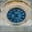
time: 10:36
